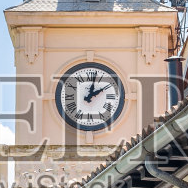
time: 2:02
